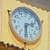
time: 2:29
